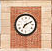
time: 7:10
